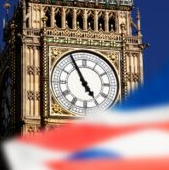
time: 4:55
